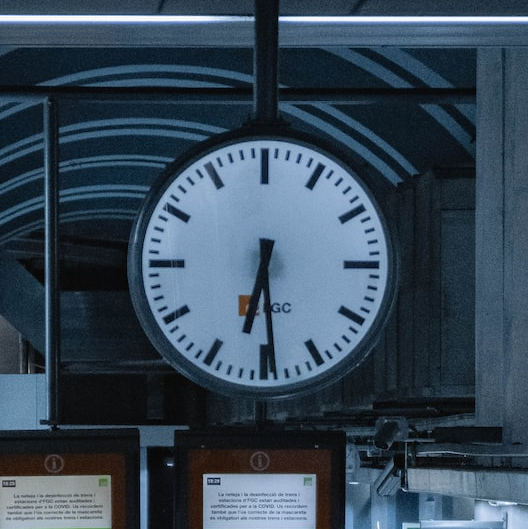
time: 6:29
